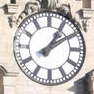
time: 1:09
